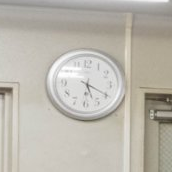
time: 5:19
